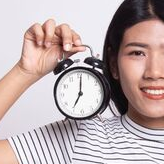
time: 7:01
